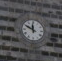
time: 11:49
